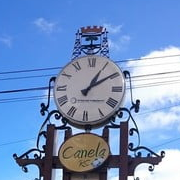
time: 1:09
